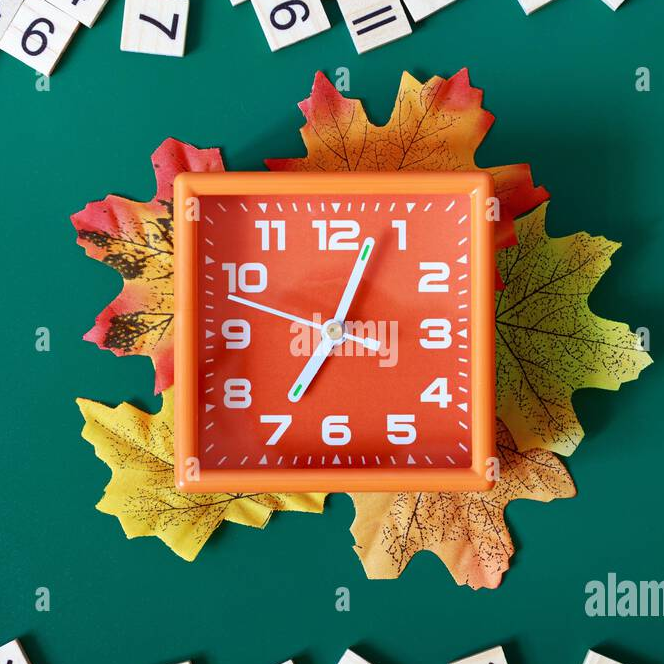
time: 7:03
